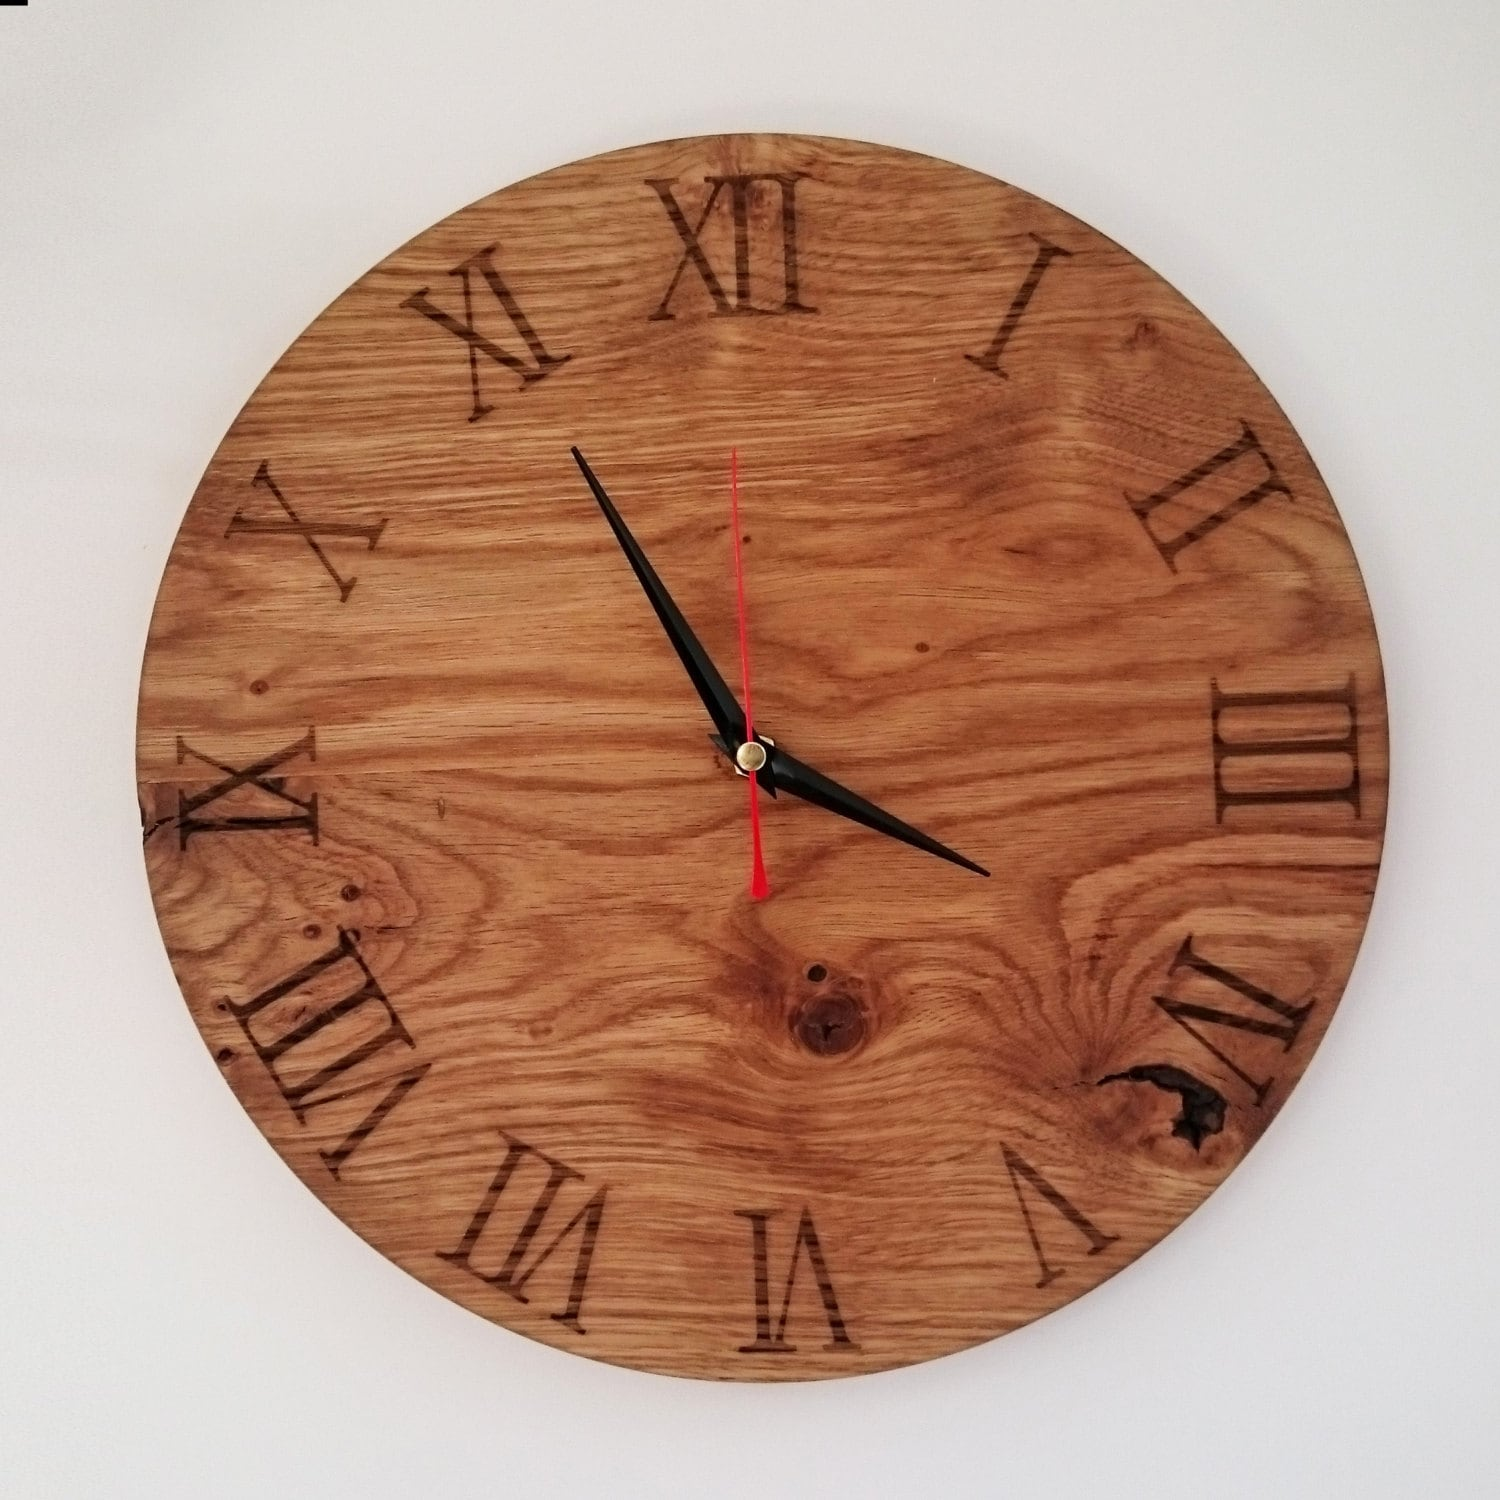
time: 3:55
